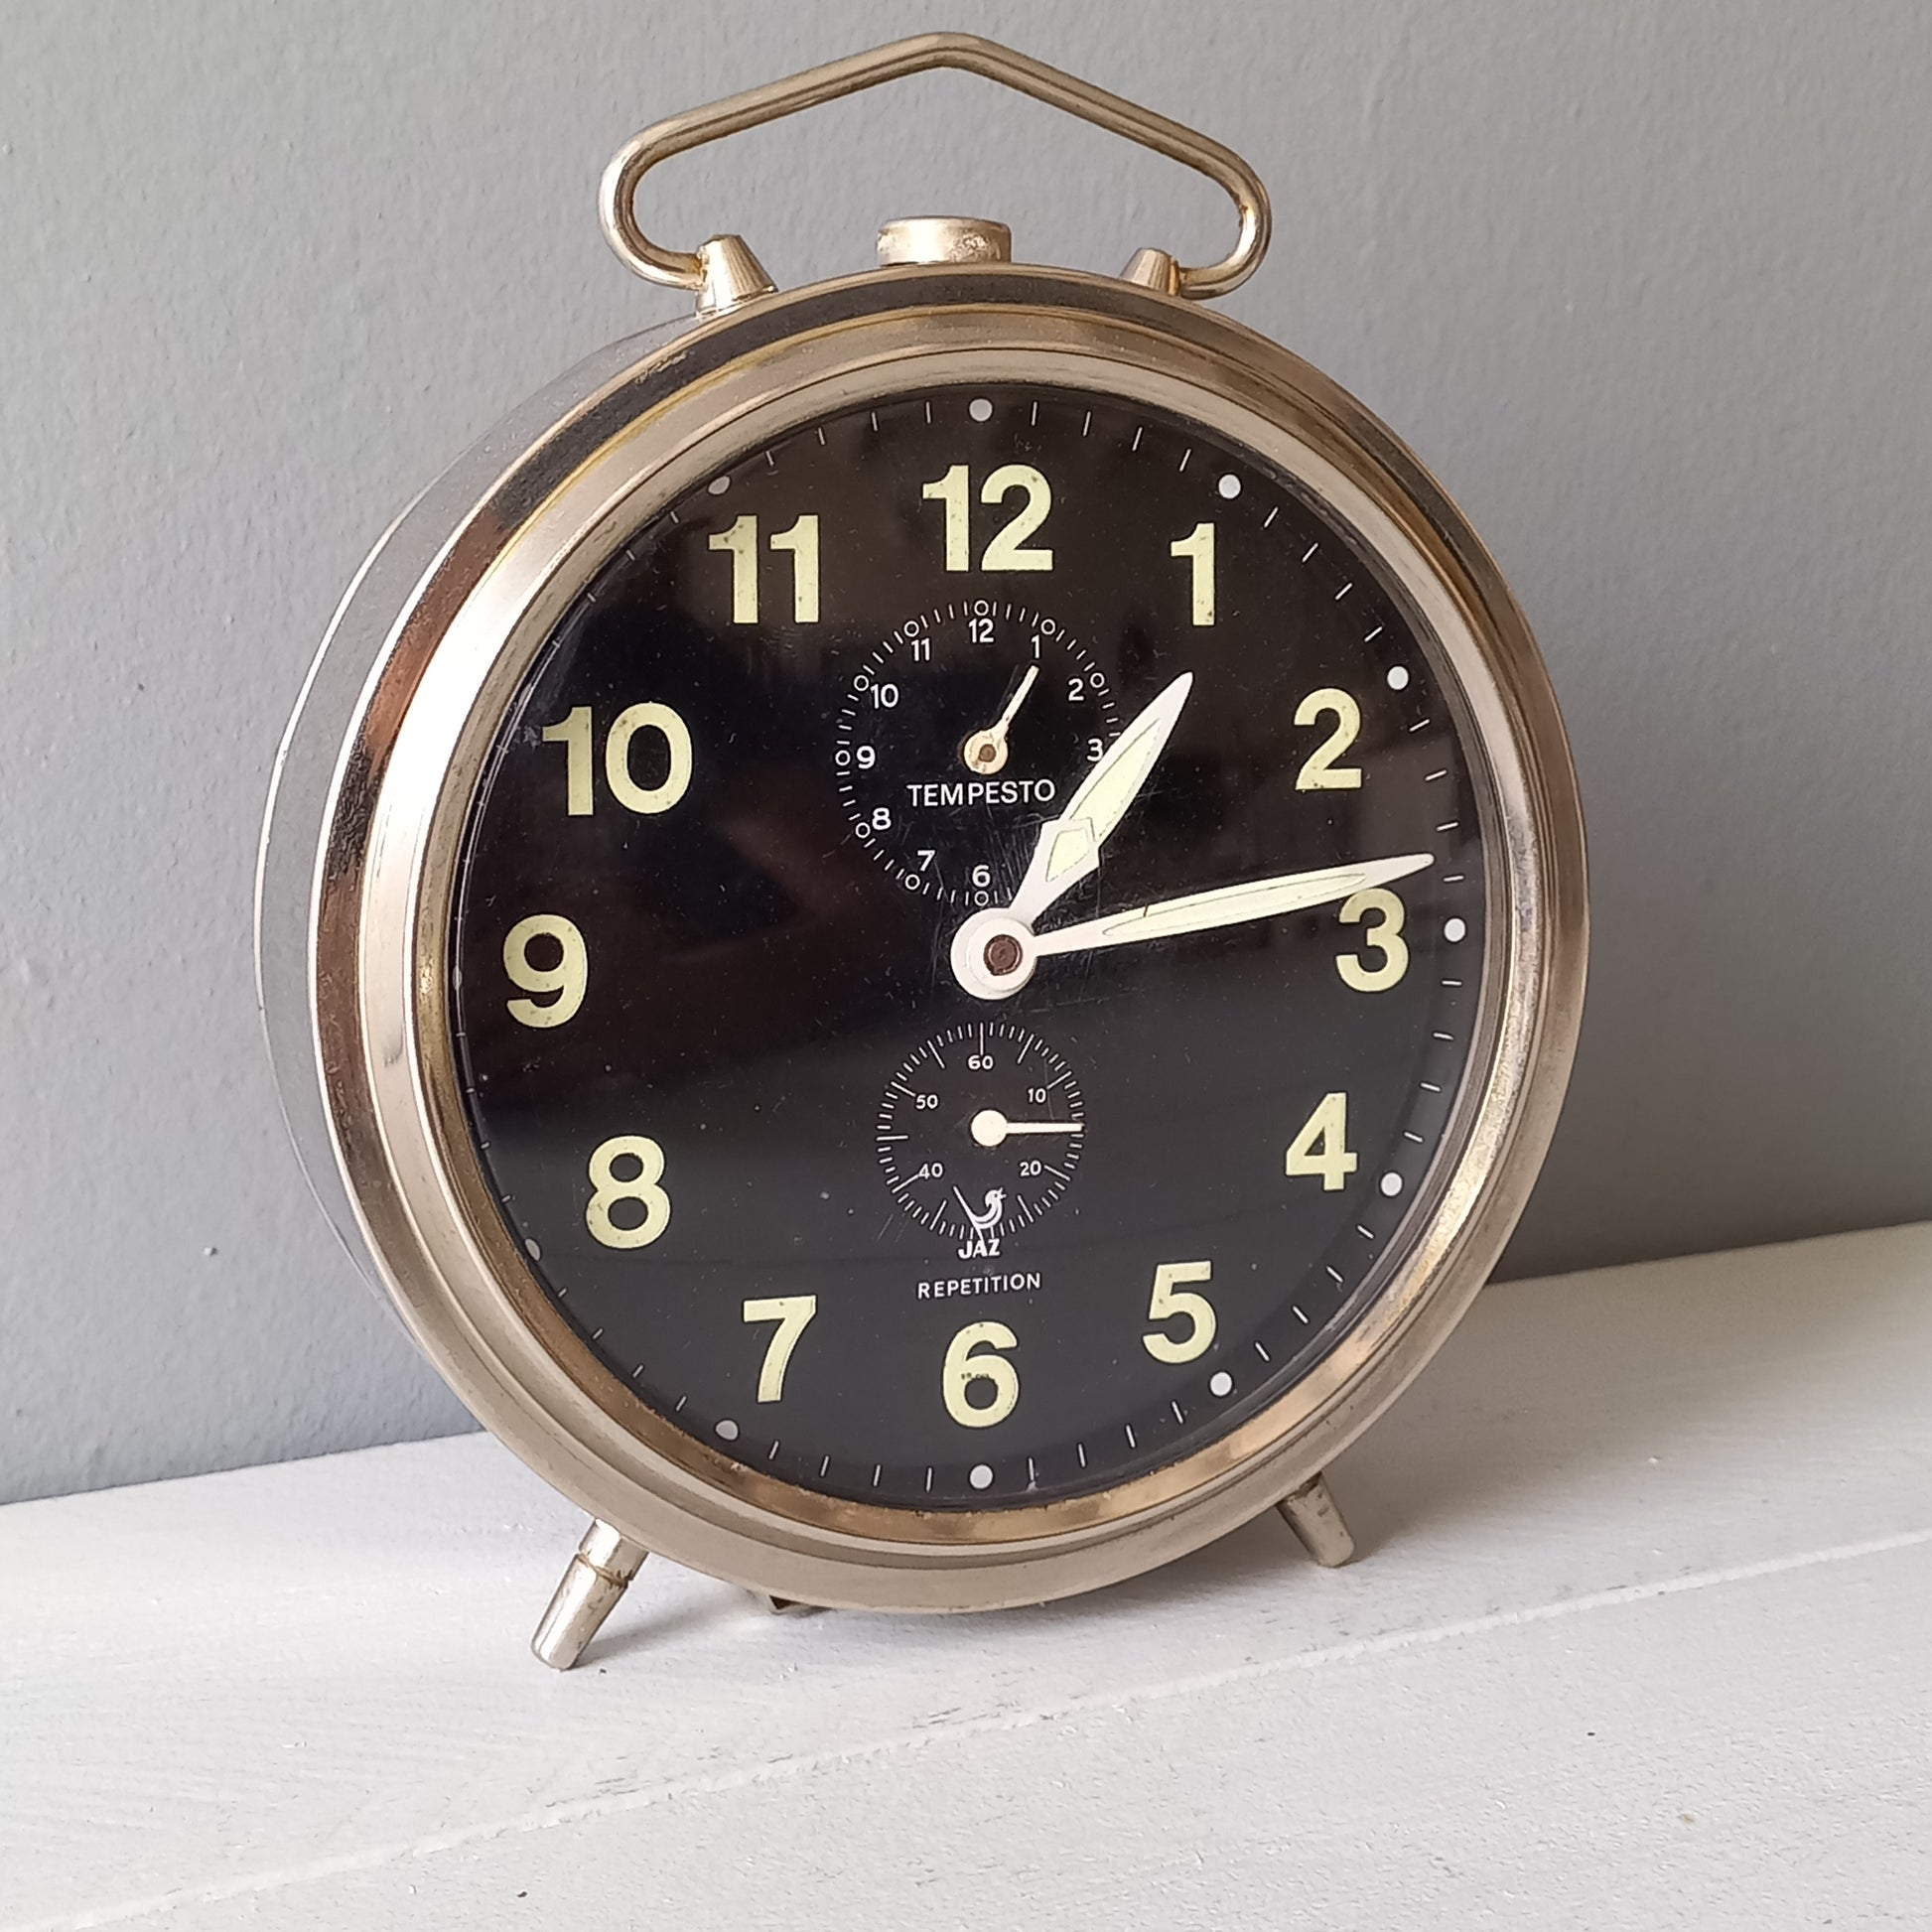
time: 1:13
